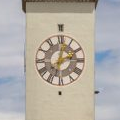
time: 2:02
